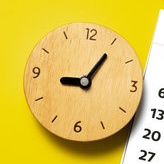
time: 9:05
